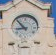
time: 8:52
